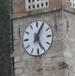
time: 5:04
